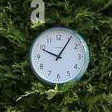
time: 10:05
